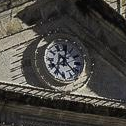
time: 12:22
